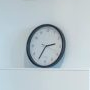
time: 2:35
